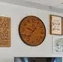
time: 9:36
